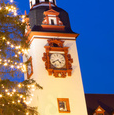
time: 4:40
